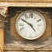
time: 4:50
